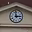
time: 2:58
